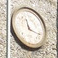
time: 11:17
